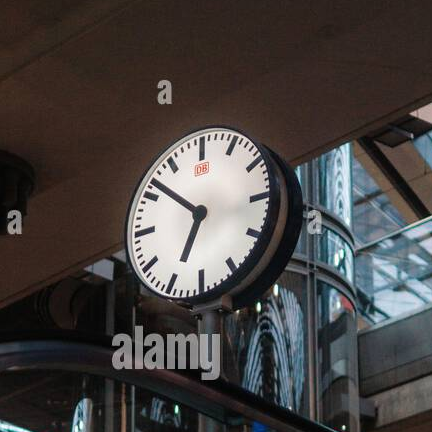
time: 6:51
